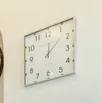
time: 12:07
